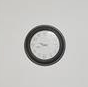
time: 9:42
